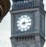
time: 8:14
